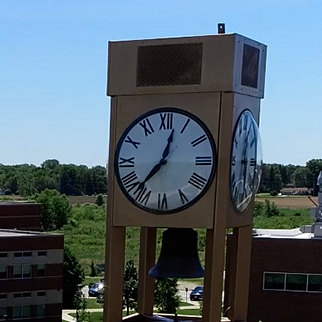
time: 12:36
